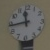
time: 11:43
